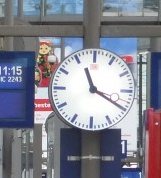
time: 11:19
